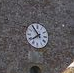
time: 7:53
